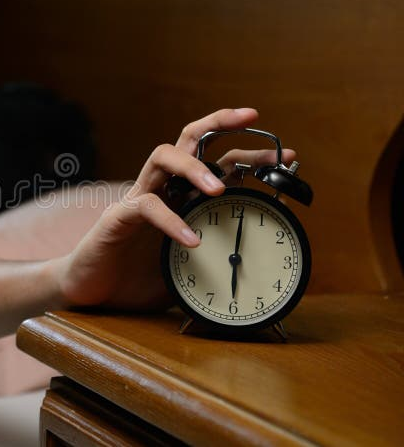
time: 6:00
